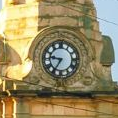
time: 9:35
